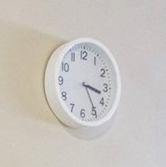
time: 3:24
